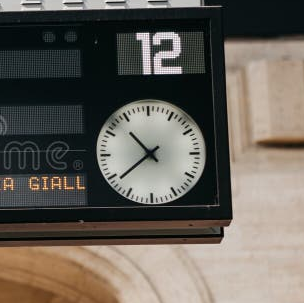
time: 10:38
